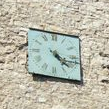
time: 4:17
